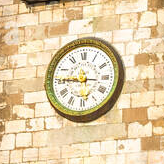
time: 11:45
